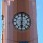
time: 6:00
